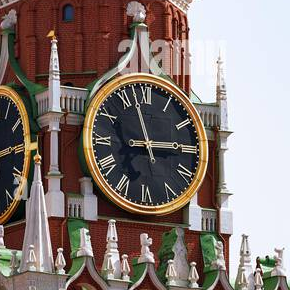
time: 2:57
